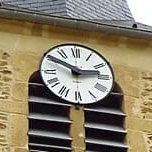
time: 2:49
